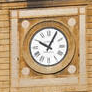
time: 10:04
